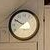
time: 9:50
